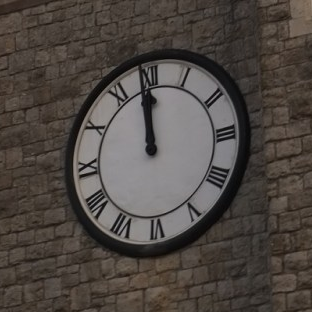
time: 11:58
